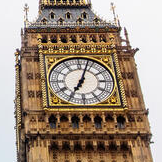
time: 7:03
